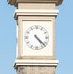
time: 4:22
